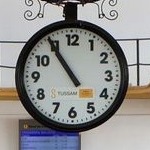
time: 10:54
